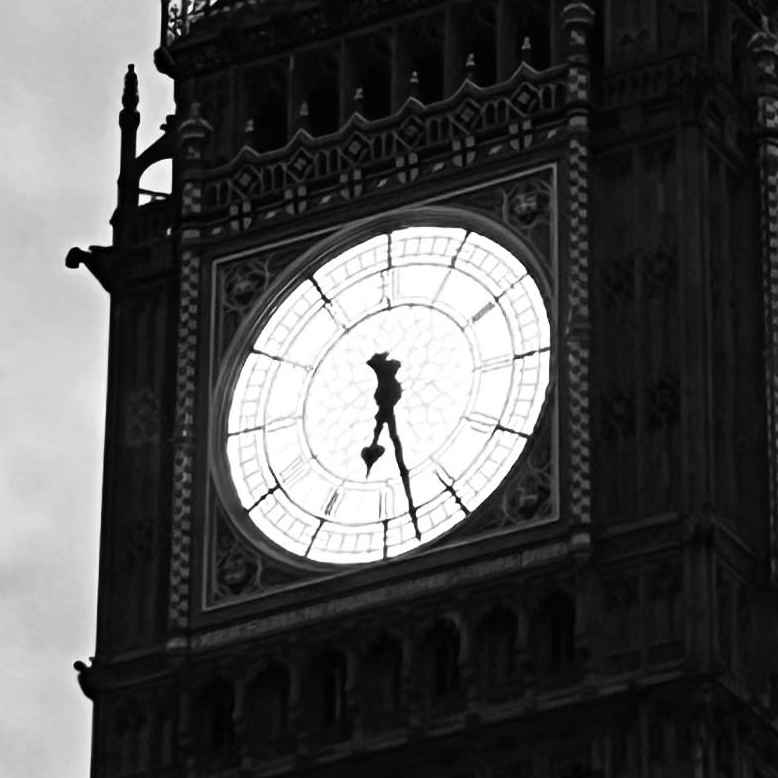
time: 6:28
